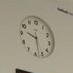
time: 9:27
